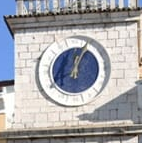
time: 12:04
